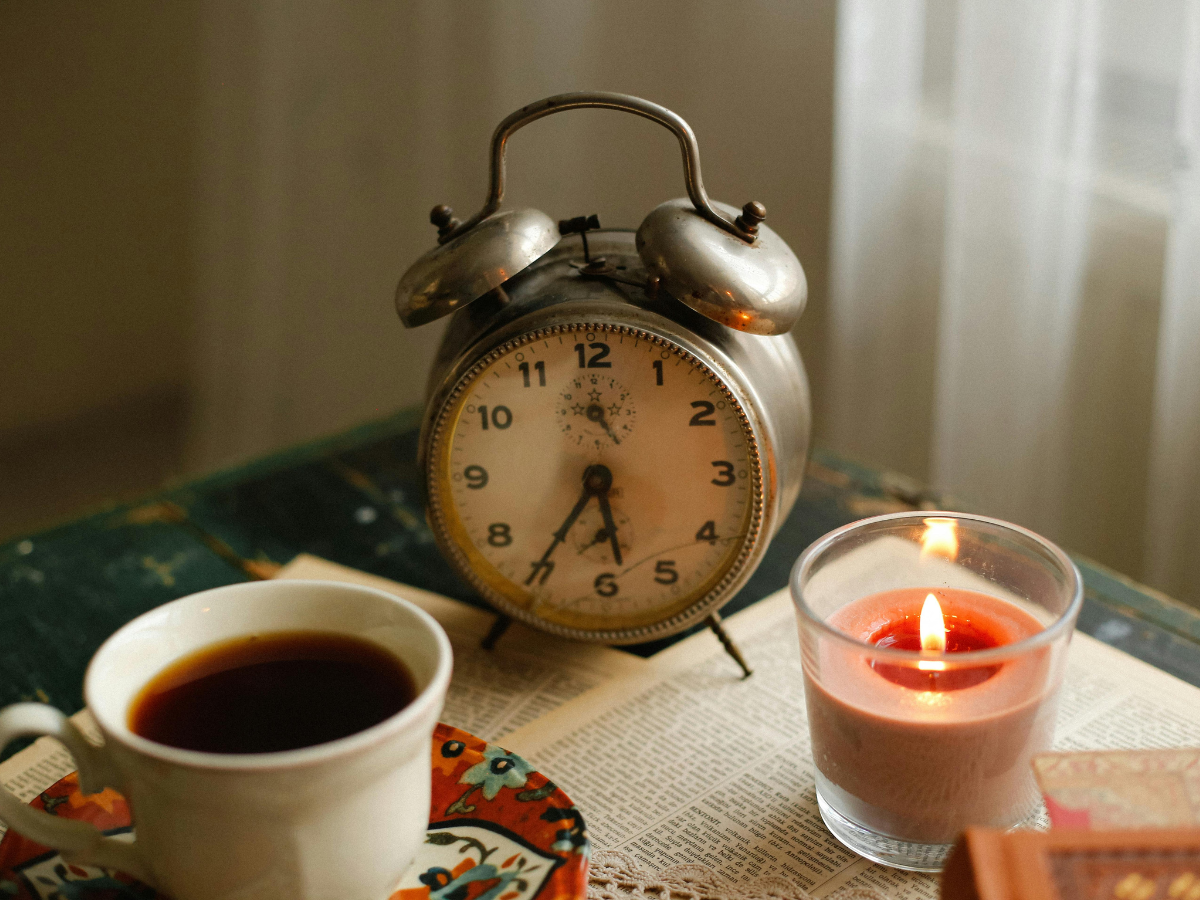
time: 5:35
